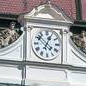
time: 12:52
